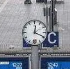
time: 12:19
